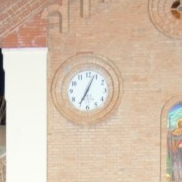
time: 7:03
